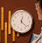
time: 12:22
